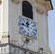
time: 11:46
